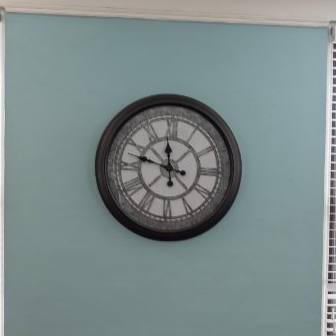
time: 11:47
